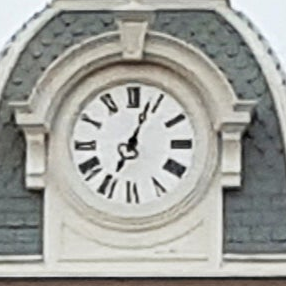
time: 7:03
